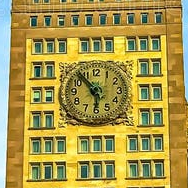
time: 5:53
